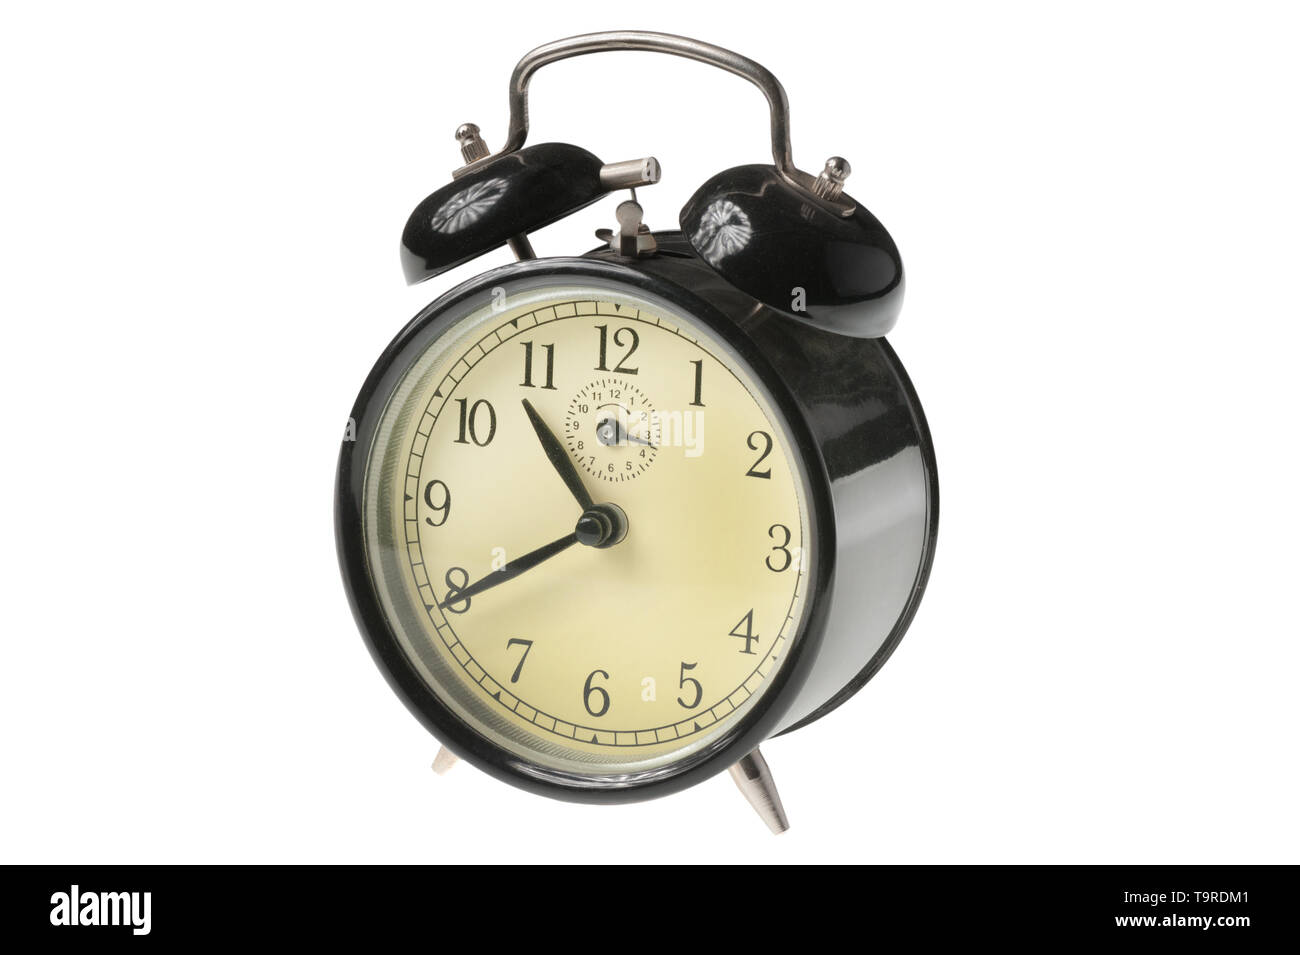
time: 10:39
